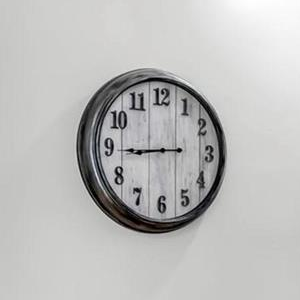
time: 8:44
